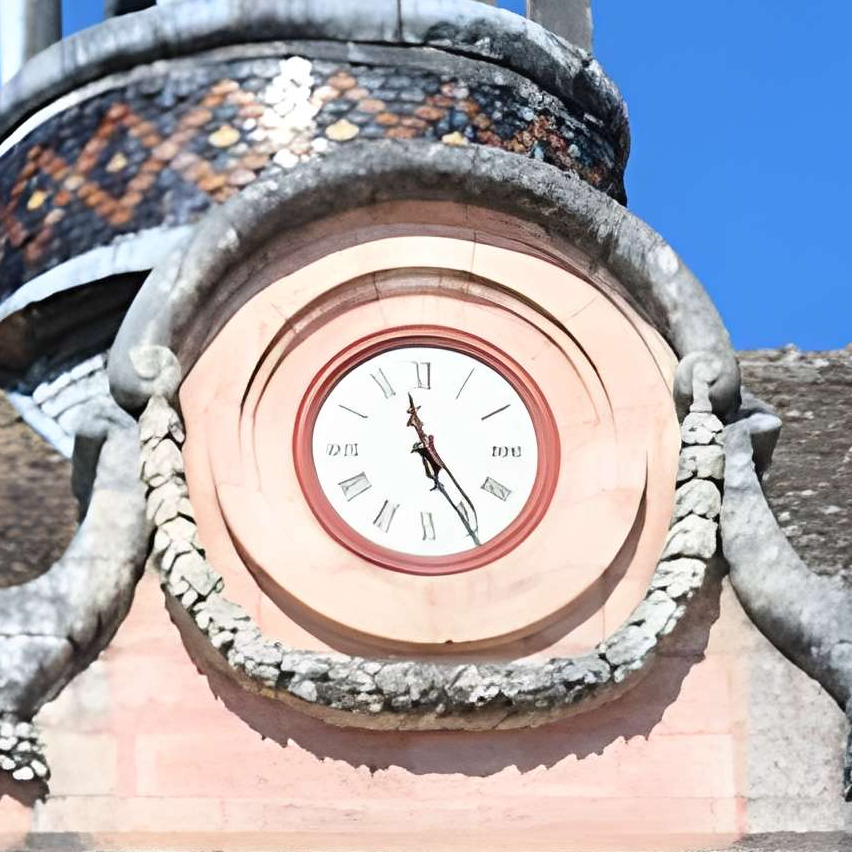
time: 11:25
